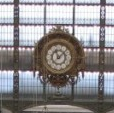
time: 11:07
